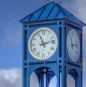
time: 11:12
